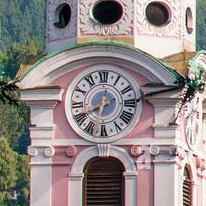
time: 7:40
